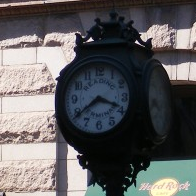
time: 3:39
